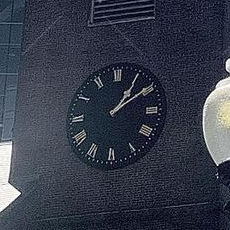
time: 1:09
